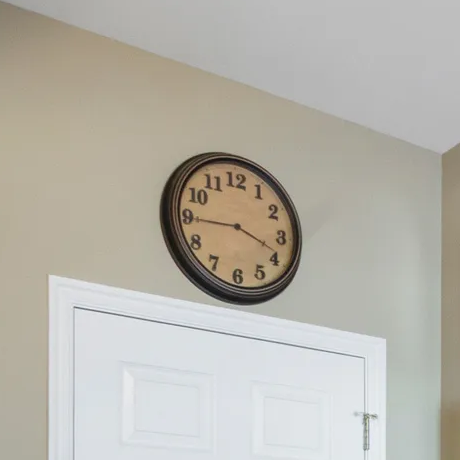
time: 3:44
